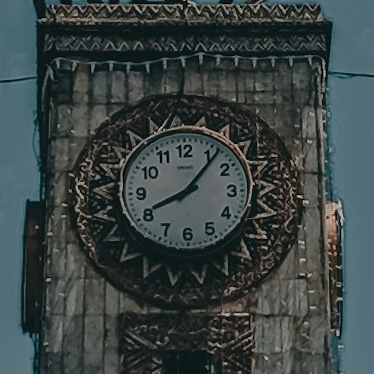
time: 8:06
